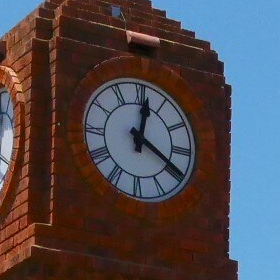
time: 12:19
